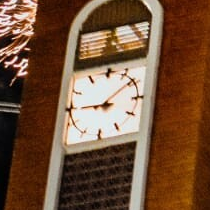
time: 9:08
